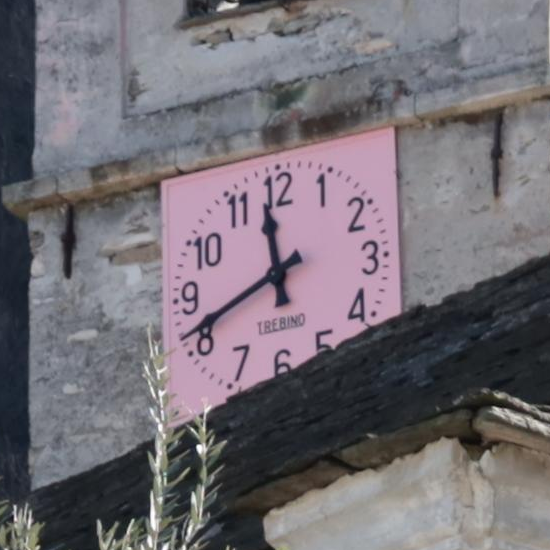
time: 11:41
